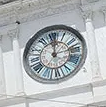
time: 12:13
